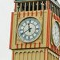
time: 11:40
